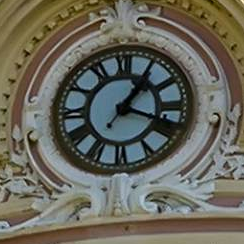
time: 1:18
